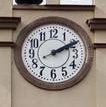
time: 2:10
